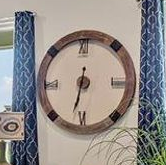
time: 6:32
